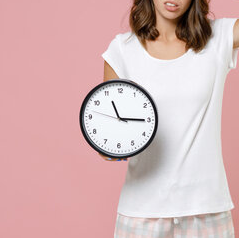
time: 11:14
